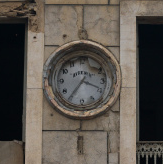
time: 3:36
